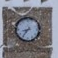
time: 8:36
